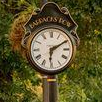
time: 6:10
